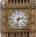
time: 2:32
